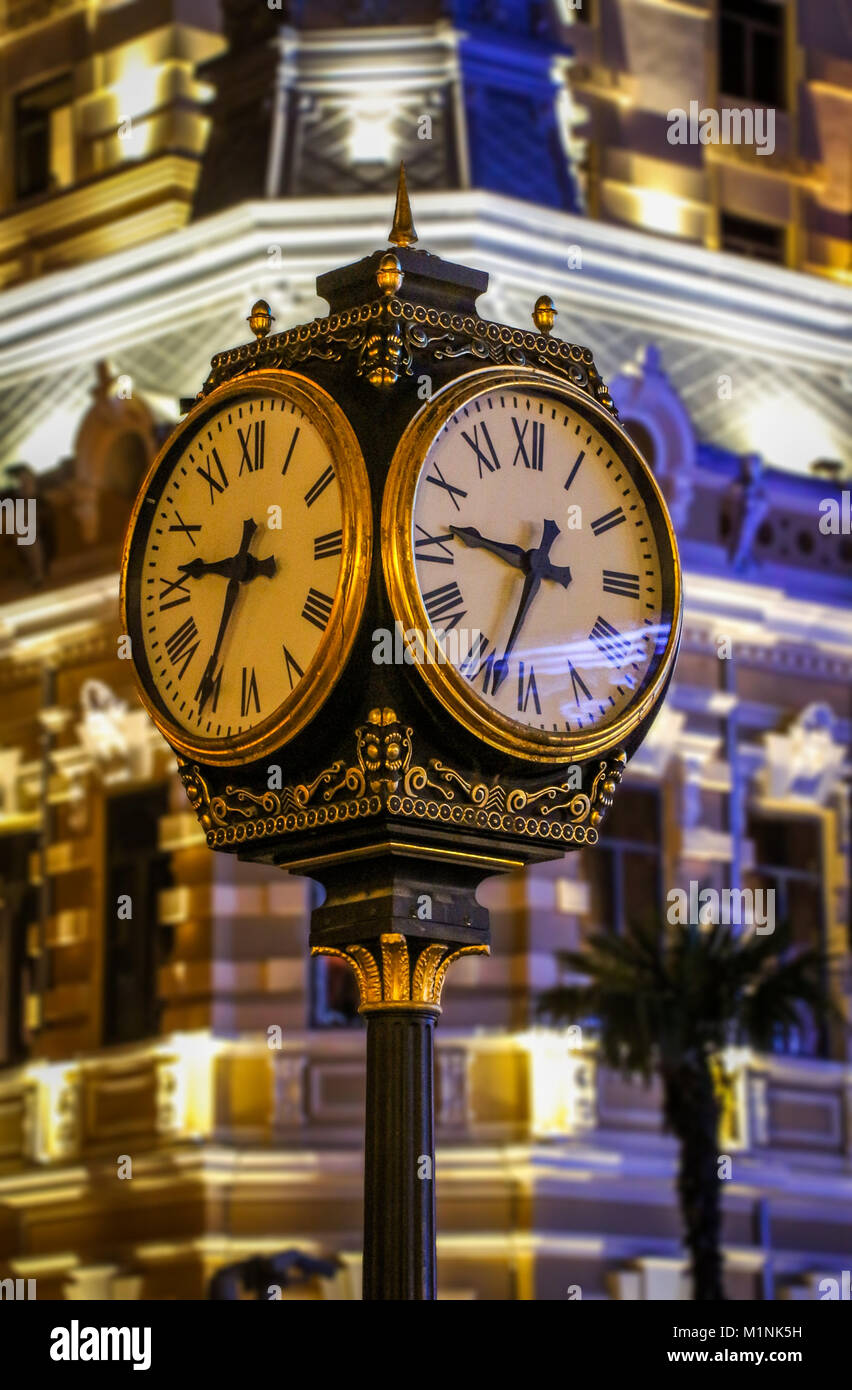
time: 9:34
